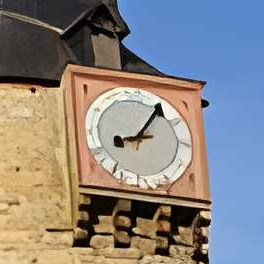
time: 8:05
